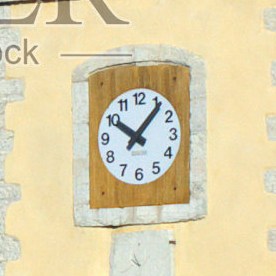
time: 10:06
